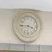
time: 3:44
